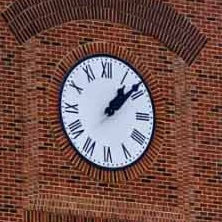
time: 1:08
